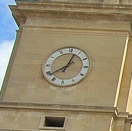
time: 12:38
